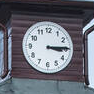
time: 3:14
